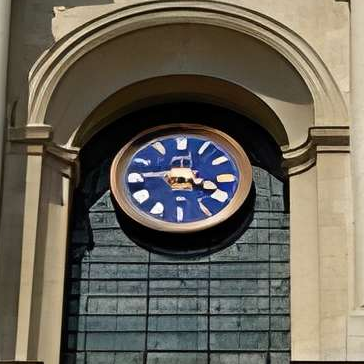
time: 3:45
